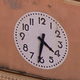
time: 4:31
